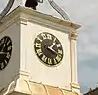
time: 1:18
